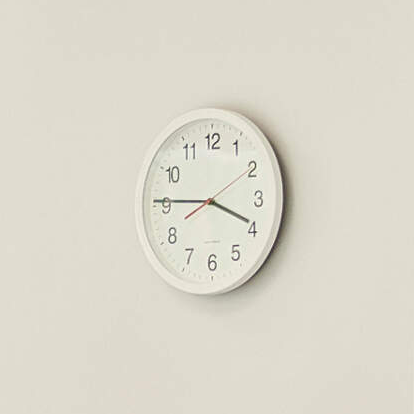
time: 3:45
